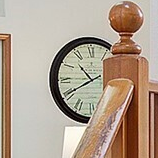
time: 10:40
